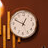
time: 12:48
